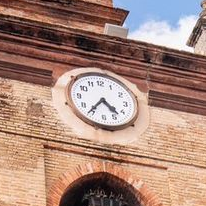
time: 4:36
